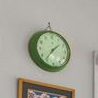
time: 1:36
